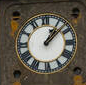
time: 1:08
